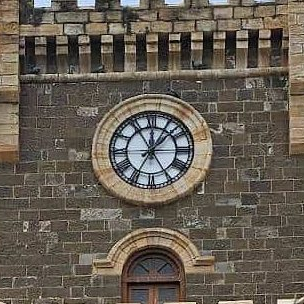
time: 12:07
